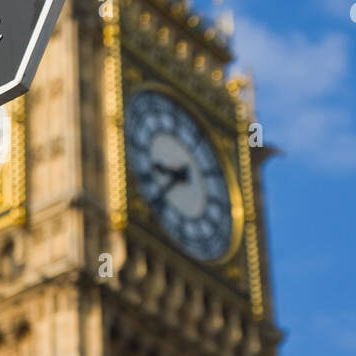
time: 8:37
